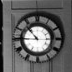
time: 10:45
